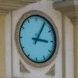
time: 3:05
